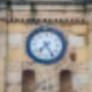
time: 7:24
